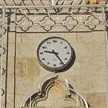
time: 9:23
